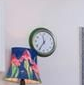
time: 11:35
